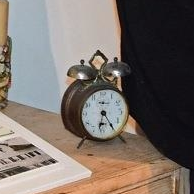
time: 6:24
